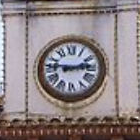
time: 2:46
